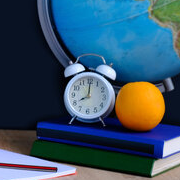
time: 8:00
